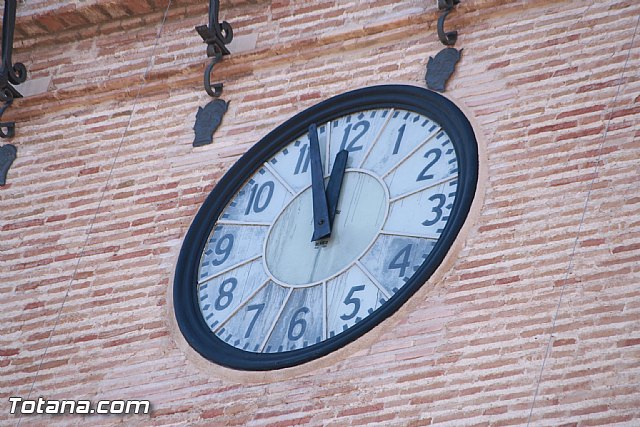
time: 11:56
